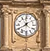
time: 1:40
